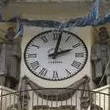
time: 2:01
